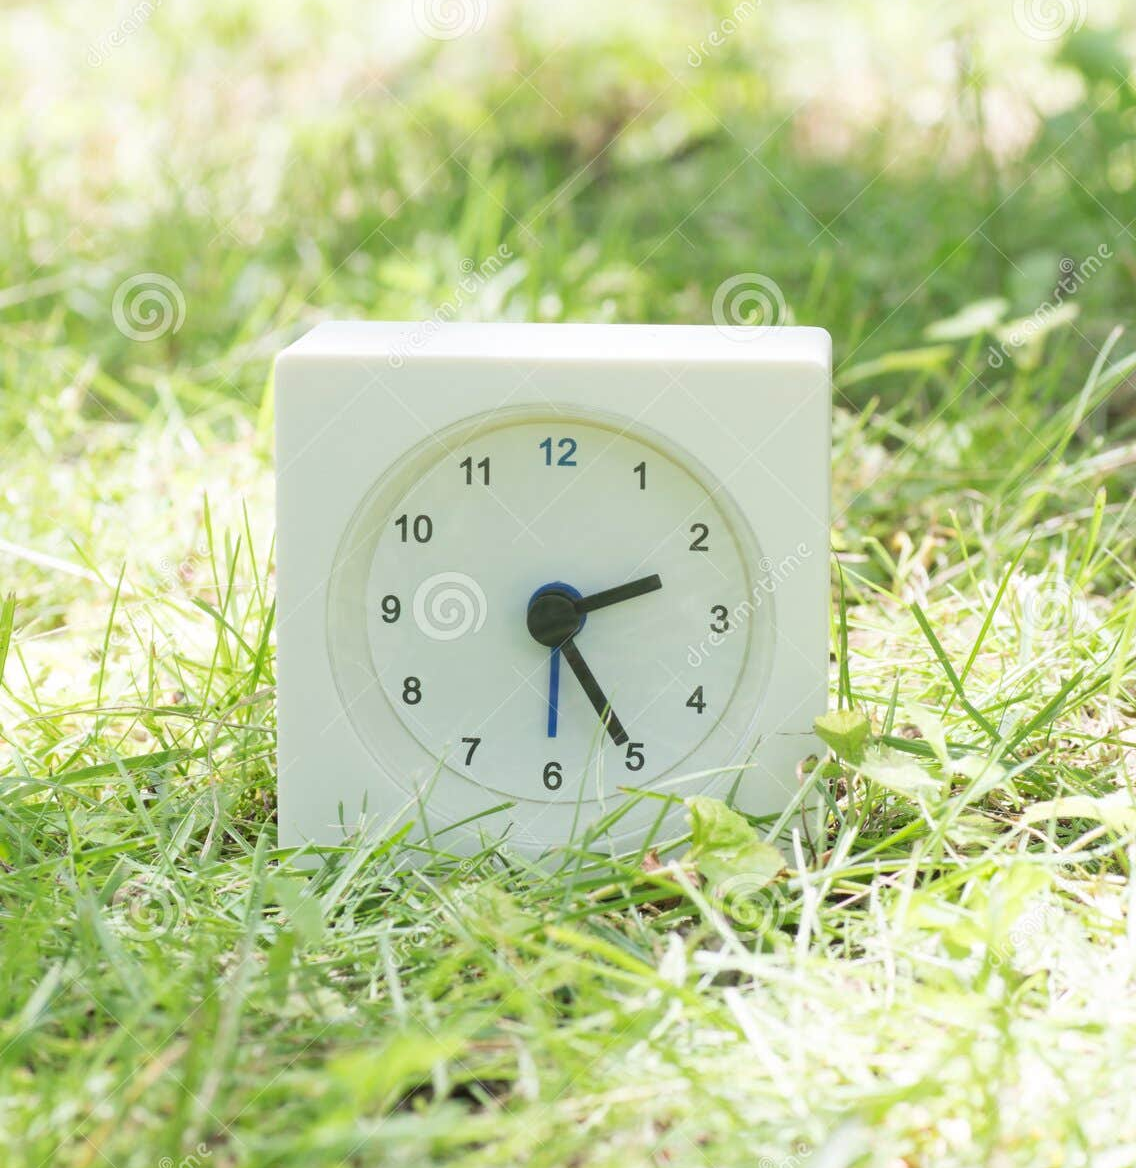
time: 2:24
